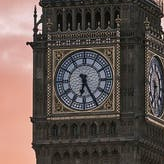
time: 6:25
